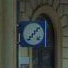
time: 7:07
